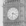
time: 3:32
